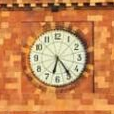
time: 6:24
